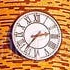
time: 2:36
